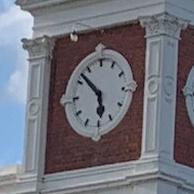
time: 5:52
